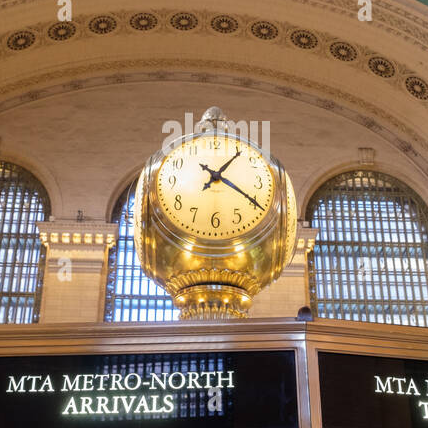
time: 1:20
